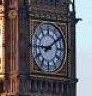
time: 9:09
